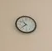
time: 10:38
